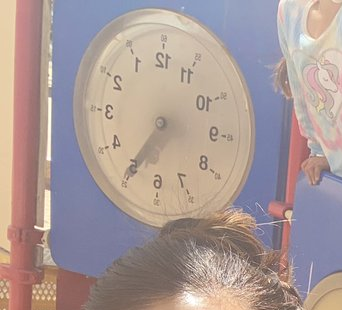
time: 7:35
